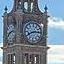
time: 8:14
